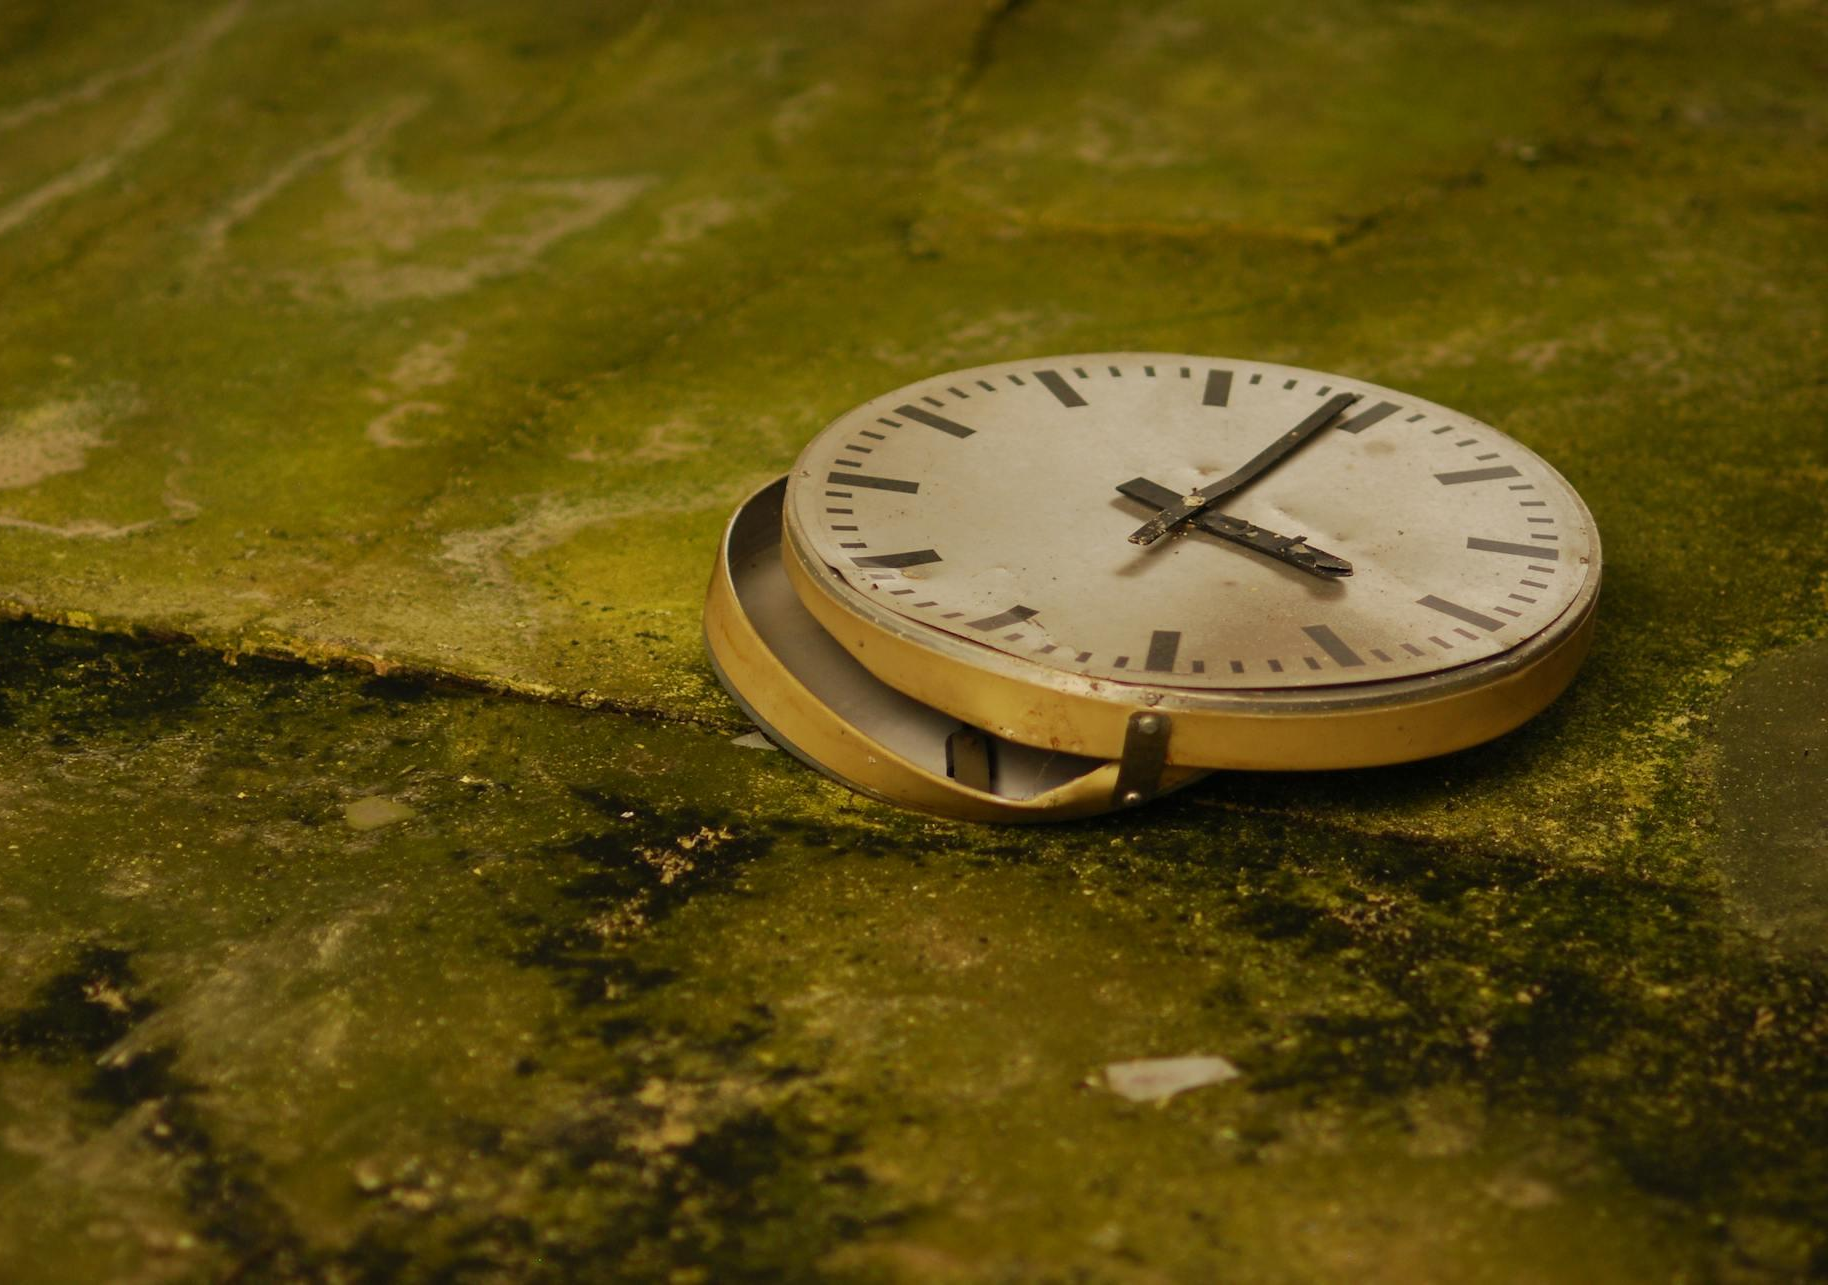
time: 4:04
